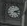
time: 3:11
